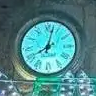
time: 8:02
